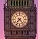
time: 7:23
